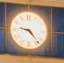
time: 9:23
